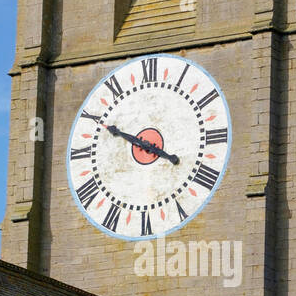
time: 3:49
